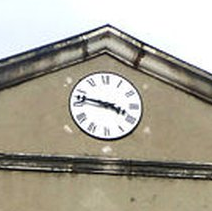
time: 3:47
